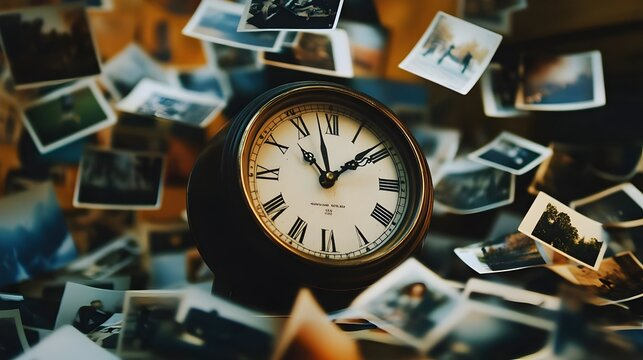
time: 11:08
